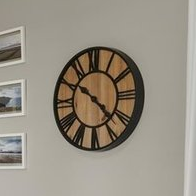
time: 10:22
